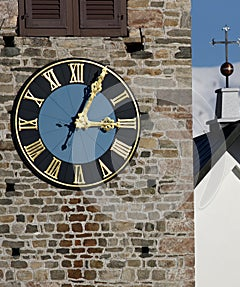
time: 3:04
